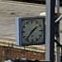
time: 1:36
